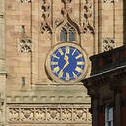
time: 11:35
